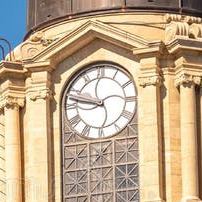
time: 9:47
